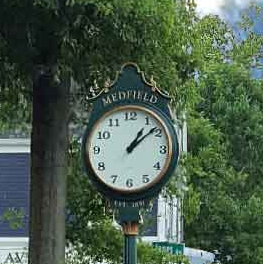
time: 1:08
